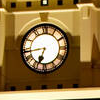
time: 6:43
